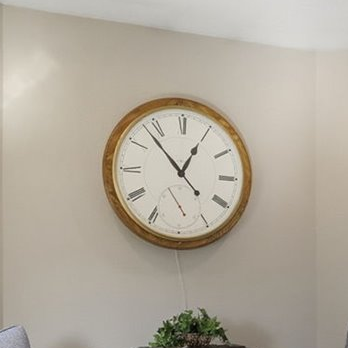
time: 12:53
